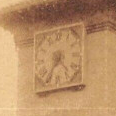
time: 4:35
